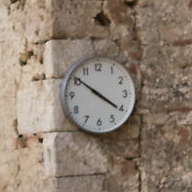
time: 3:50
